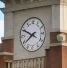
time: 7:49
